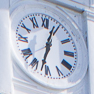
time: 12:32
